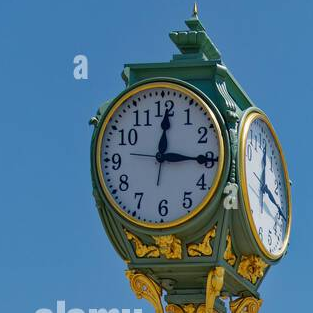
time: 12:15
